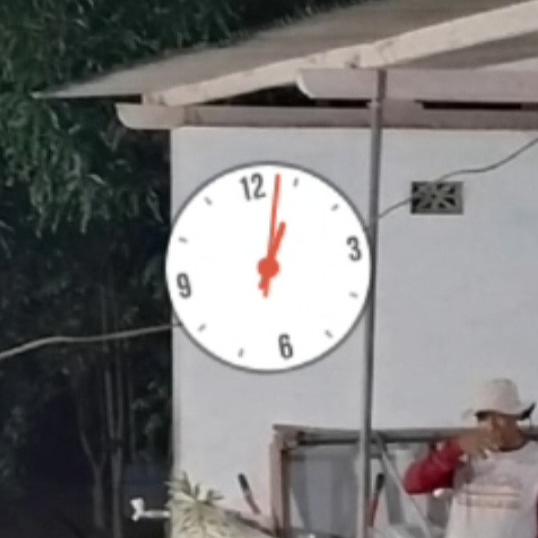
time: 1:02
